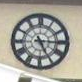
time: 5:14
